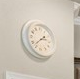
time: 1:37
